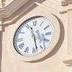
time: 11:28
